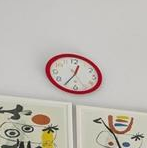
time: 12:35
